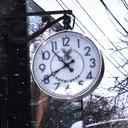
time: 10:40
